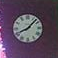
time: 8:07
